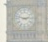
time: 2:47
